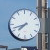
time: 7:42
